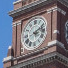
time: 3:11
